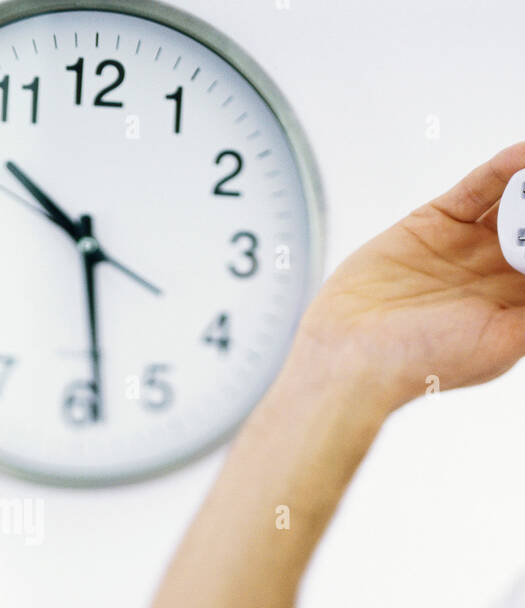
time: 10:28
